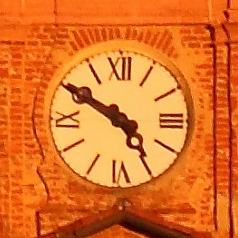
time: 4:50
